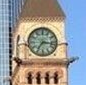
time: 7:16
